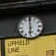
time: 5:59
